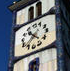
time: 10:37
